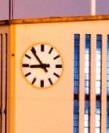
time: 8:53
